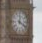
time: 12:19
